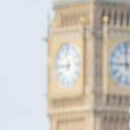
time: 11:45
